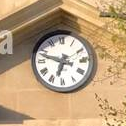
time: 6:47
